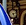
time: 5:12
